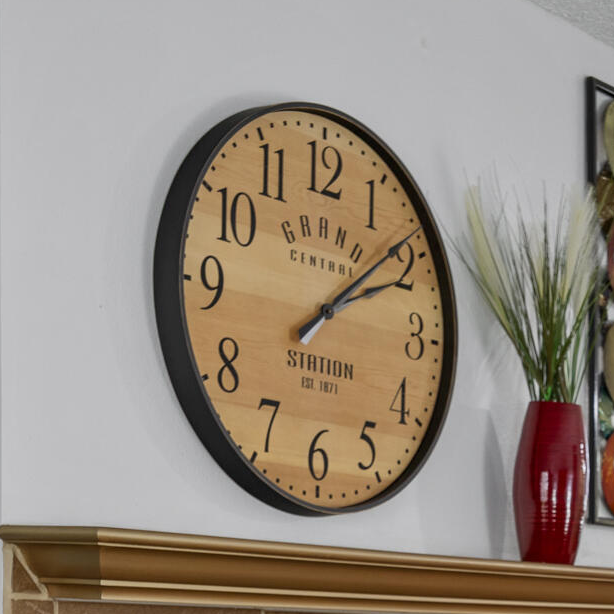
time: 2:08
